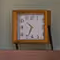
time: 10:34
